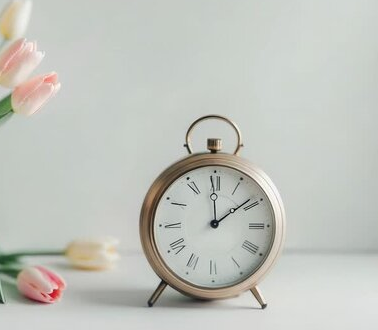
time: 12:09
